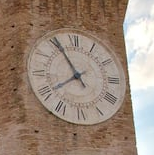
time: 7:55
